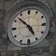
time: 4:52
